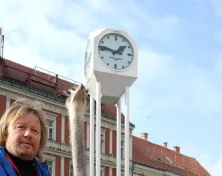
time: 1:46
